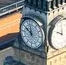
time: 9:57
